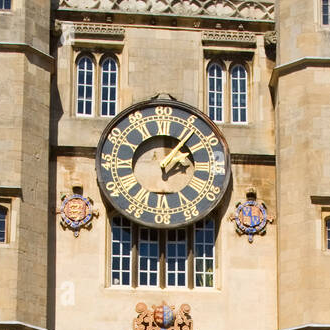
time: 2:06
